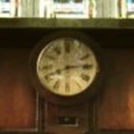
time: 8:14
